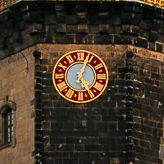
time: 5:03
